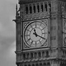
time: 11:19
